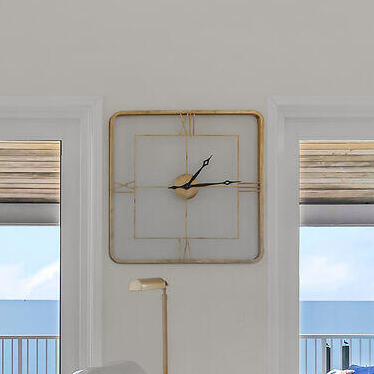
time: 1:14
